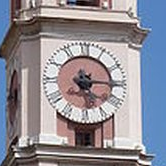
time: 5:15
